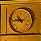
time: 10:45
